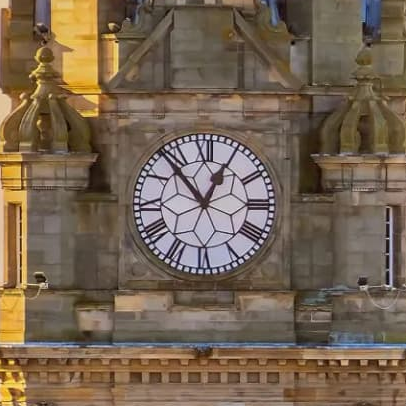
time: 12:53
